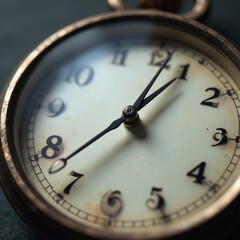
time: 1:02
